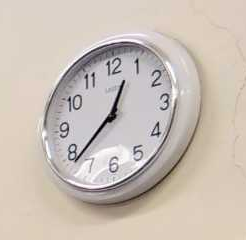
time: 12:38
